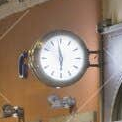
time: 5:58
